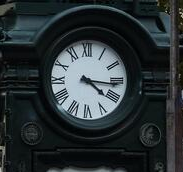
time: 4:16
